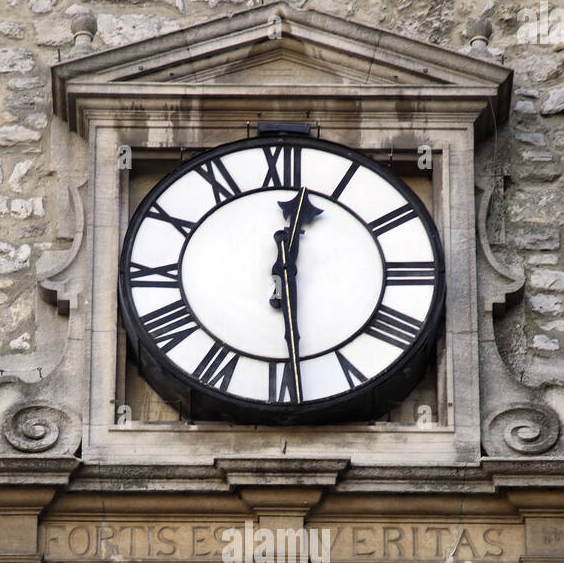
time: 12:28
